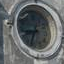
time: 8:33
